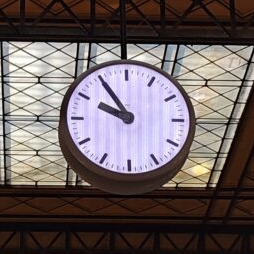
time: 9:54
